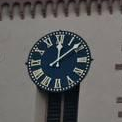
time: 12:08
